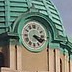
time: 4:17
